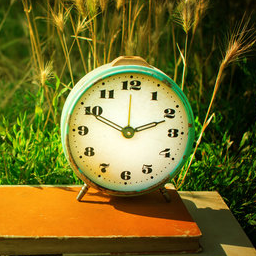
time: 2:11
